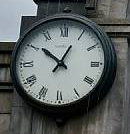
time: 12:51
